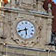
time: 5:41
